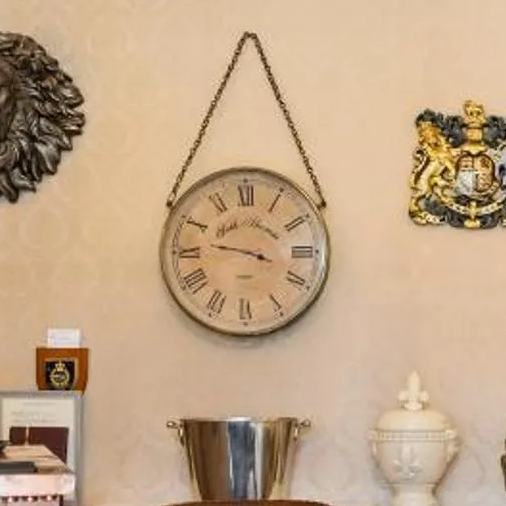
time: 3:46
